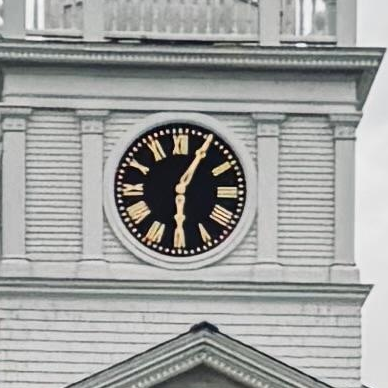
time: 6:04
